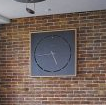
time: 5:14
